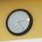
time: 2:23
